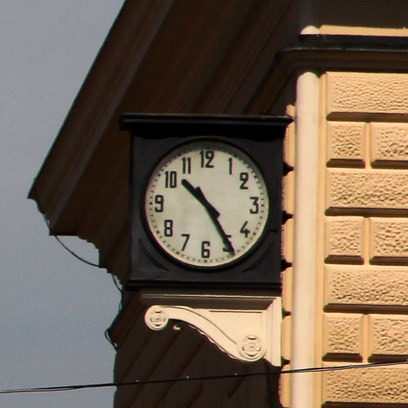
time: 10:24
